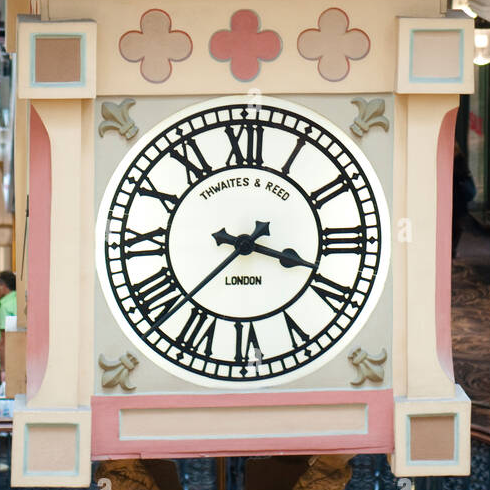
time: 3:37
